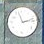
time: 11:12
